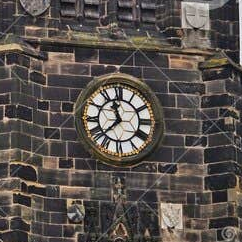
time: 11:37
